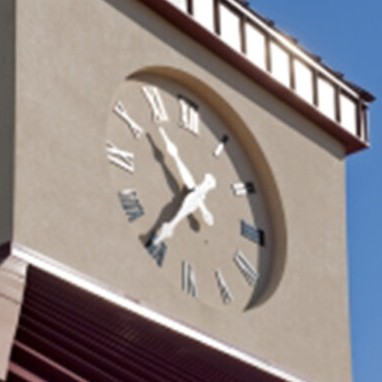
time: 10:36
